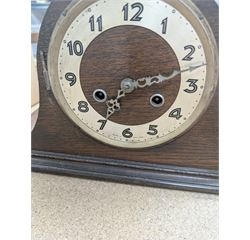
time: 2:35
